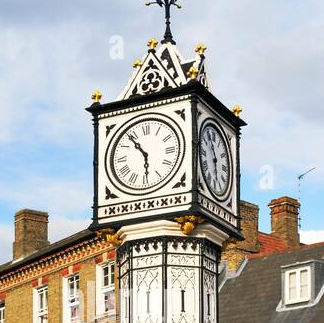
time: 5:54
